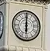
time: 6:00
